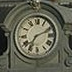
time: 7:11
